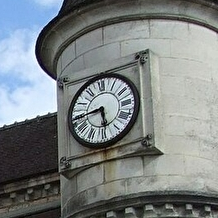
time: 5:44
